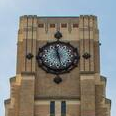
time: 11:27
